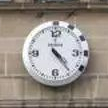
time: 4:23
